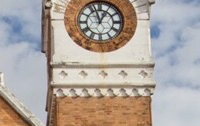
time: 12:57
